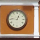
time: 12:46
